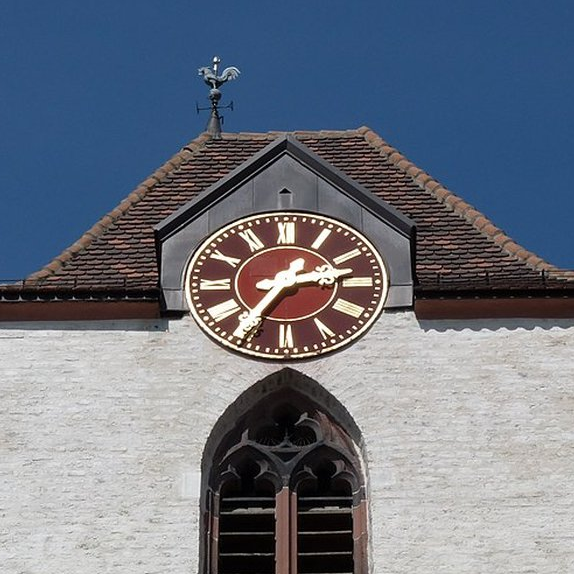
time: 2:36
